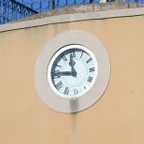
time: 11:46
